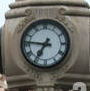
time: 6:46
